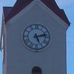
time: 5:12
